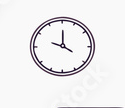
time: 4:00
